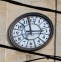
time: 2:58
